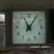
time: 11:05
